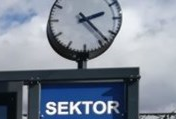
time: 2:23
